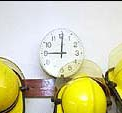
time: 9:00
